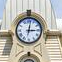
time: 3:01
